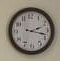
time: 2:18
